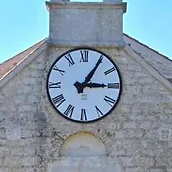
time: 3:05
